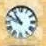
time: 10:49
